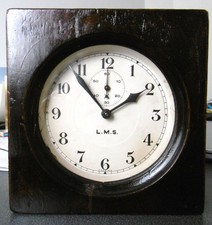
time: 1:53
